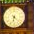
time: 6:22
